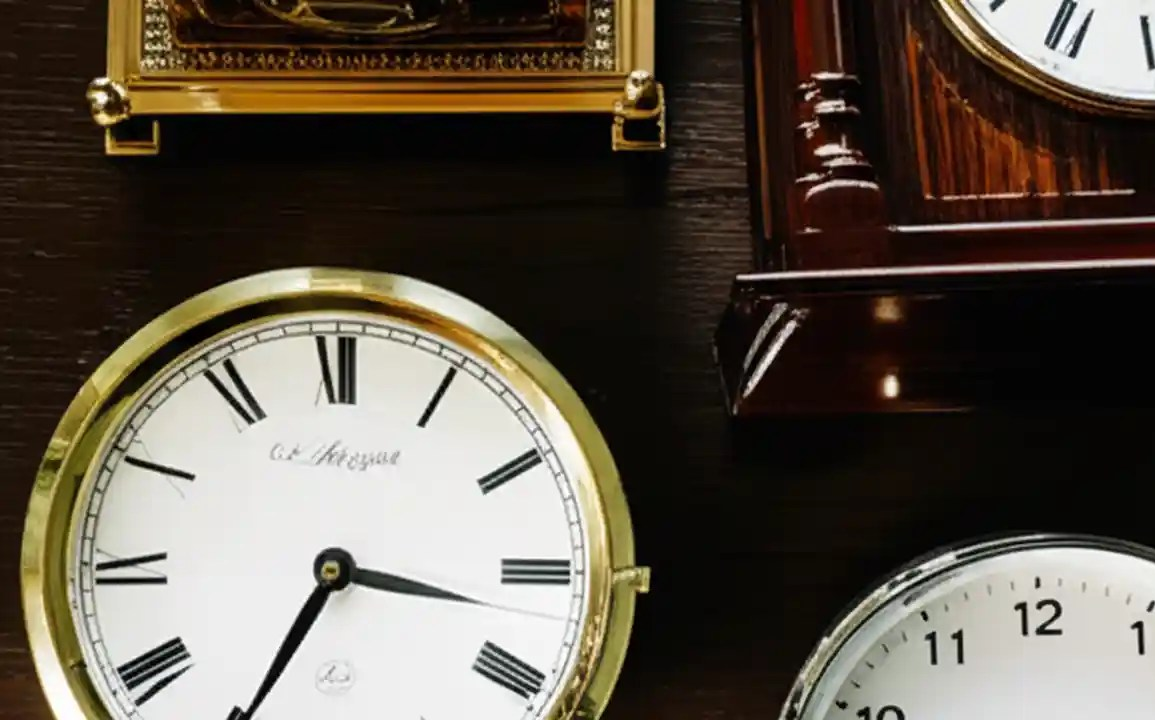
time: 3:34
